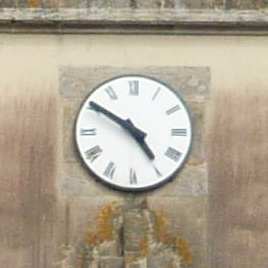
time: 4:50
